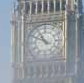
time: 10:49
